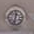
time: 12:32
